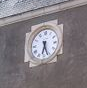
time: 6:26
